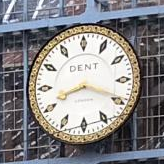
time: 8:19
